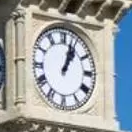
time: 1:03
